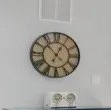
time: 12:52
